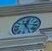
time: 12:24
